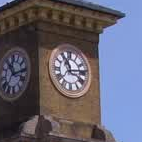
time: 11:13
